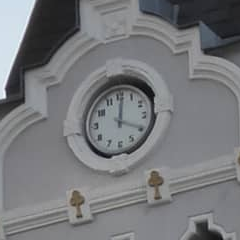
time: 12:19
